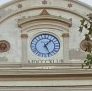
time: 5:06
